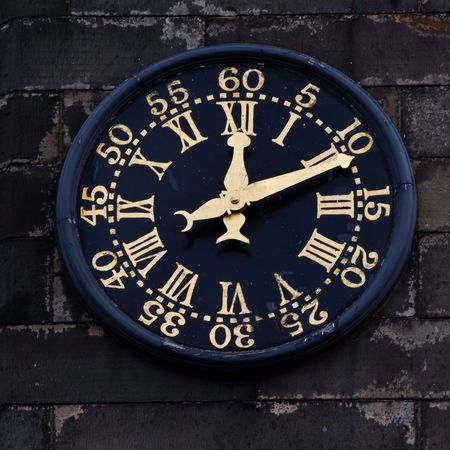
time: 12:10
